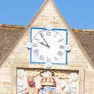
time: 9:54
